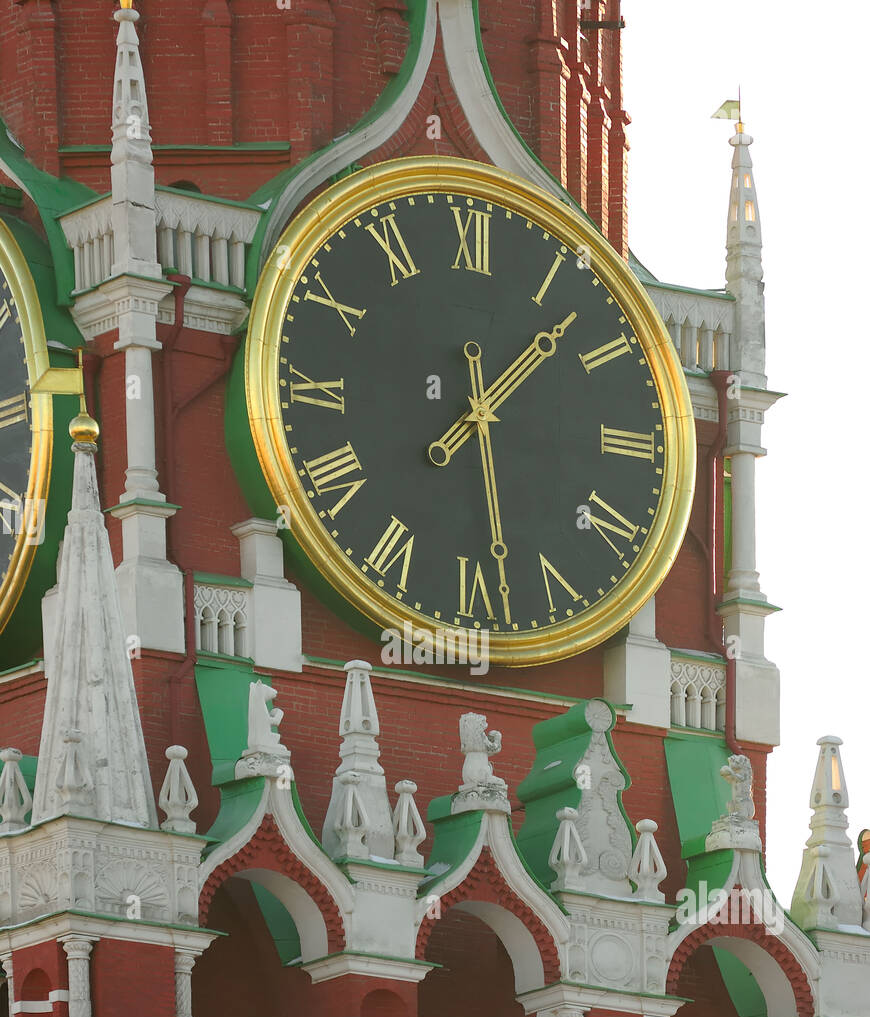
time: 1:28
